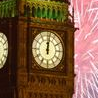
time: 12:01
